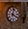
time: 4:02
